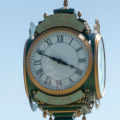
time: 3:48
